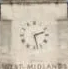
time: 2:27
